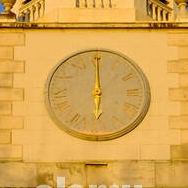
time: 6:00
